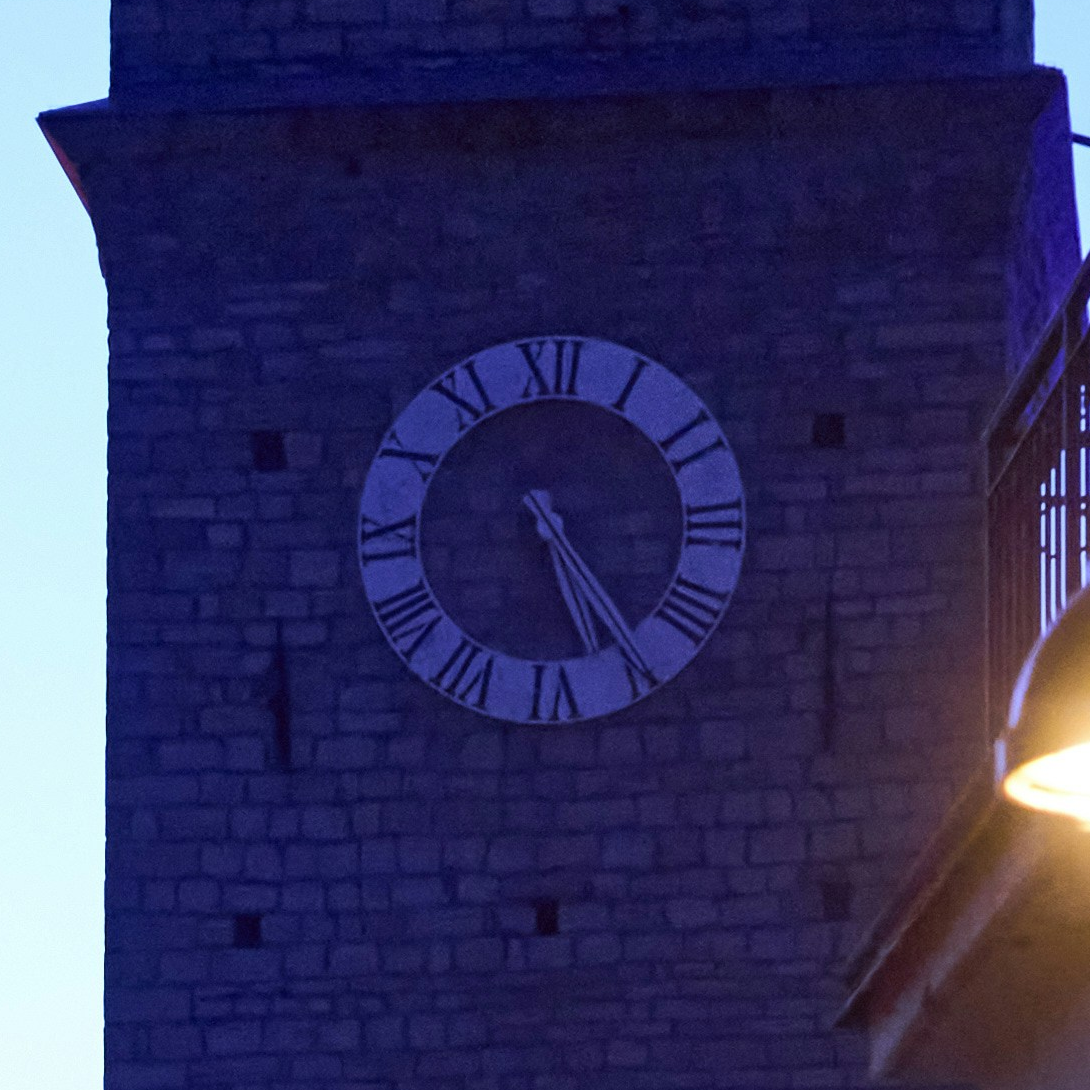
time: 5:24
